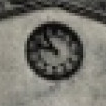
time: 10:47
